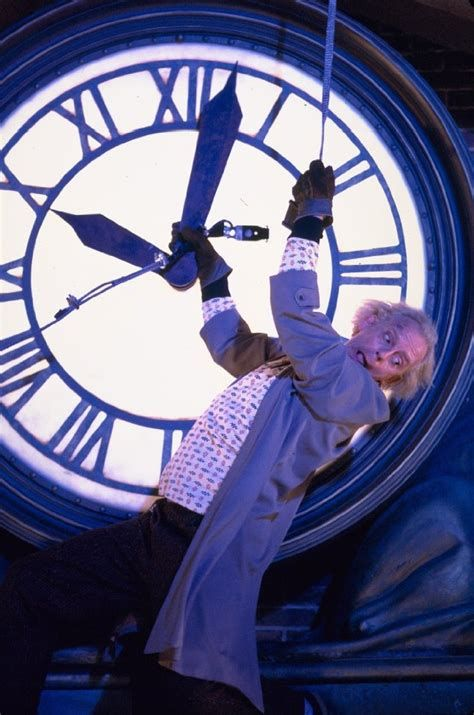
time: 10:02
